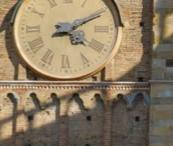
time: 4:10
